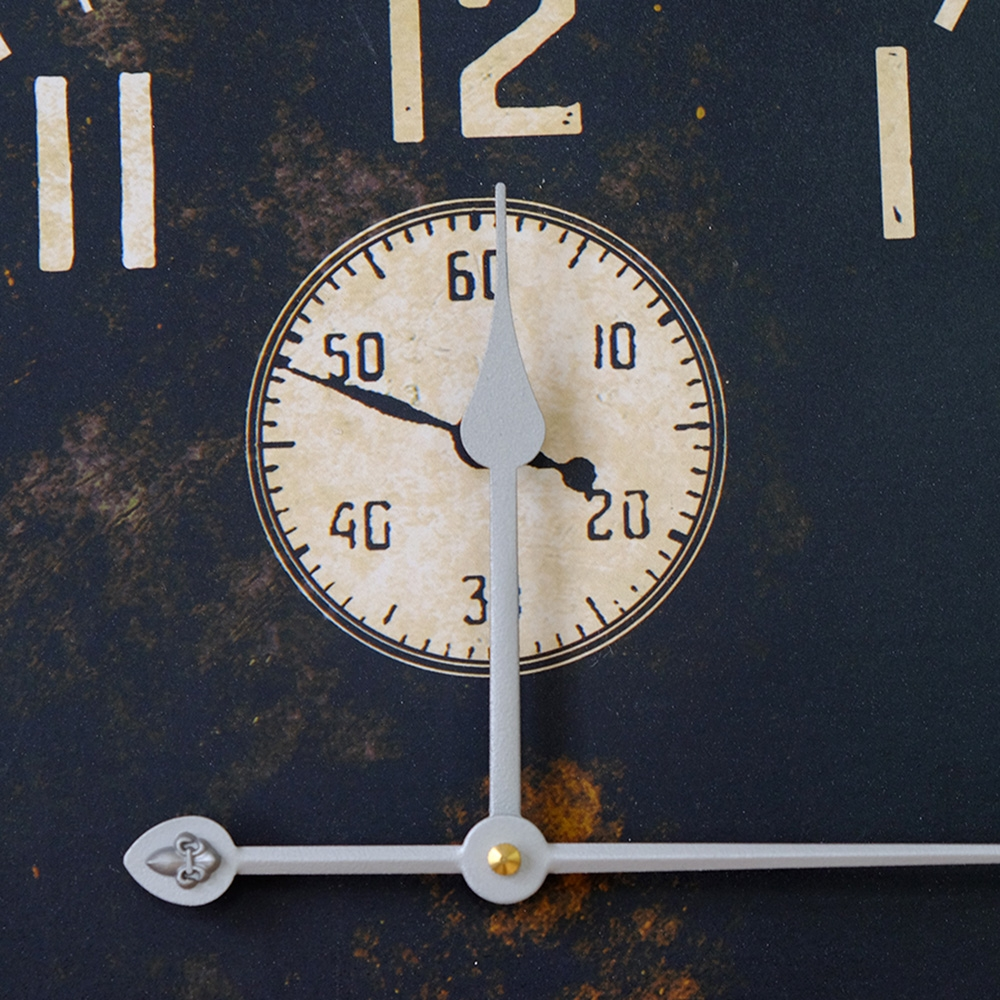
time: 3:48
